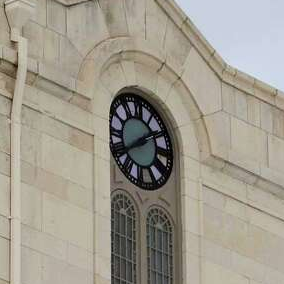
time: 1:39
